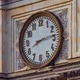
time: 8:13
